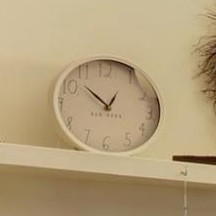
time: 12:52
